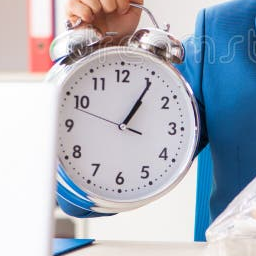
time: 1:05
